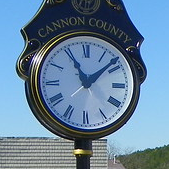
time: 11:08
